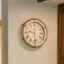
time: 9:28
